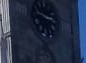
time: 2:48
